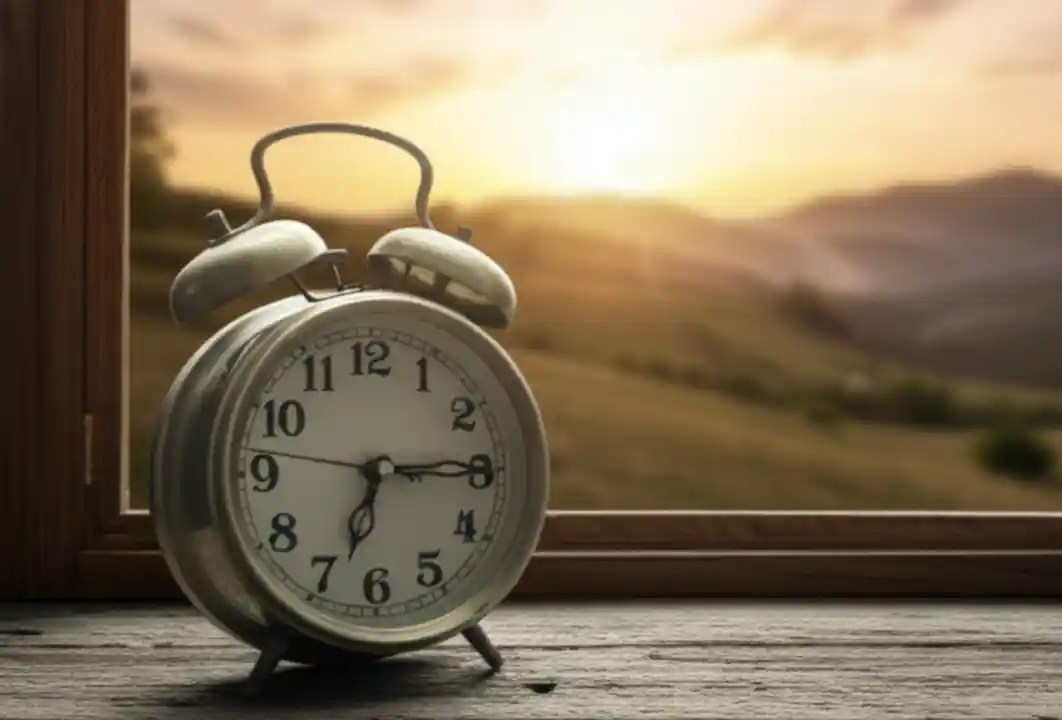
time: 6:14
